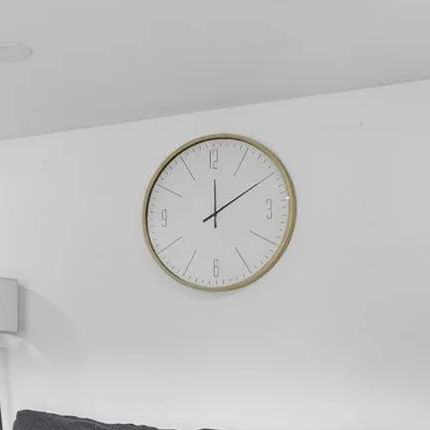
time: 12:09
